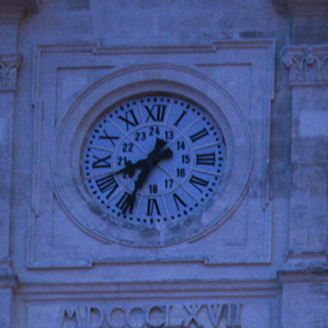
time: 8:34
